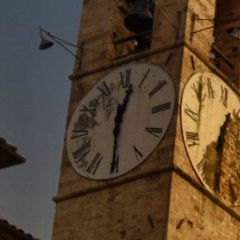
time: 12:30
